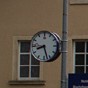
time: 8:27
